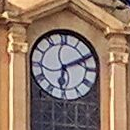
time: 6:10
